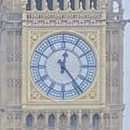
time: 12:23
